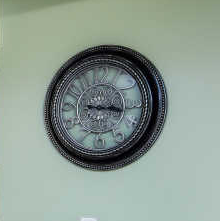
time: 3:16
